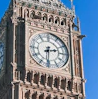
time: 2:30
